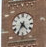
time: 4:35
